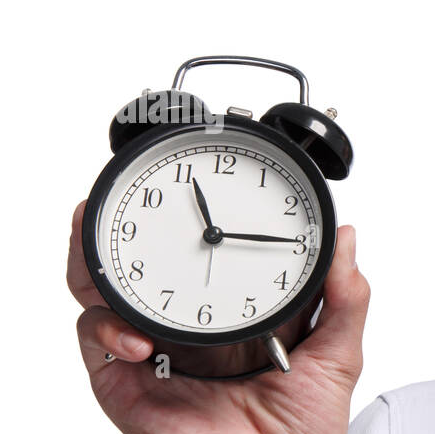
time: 11:14
